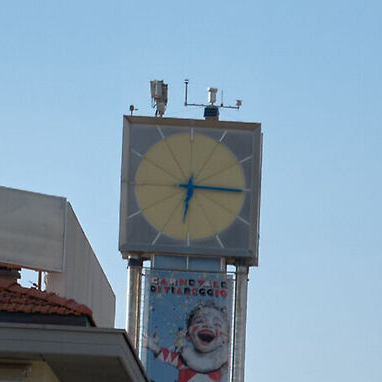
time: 6:15
